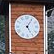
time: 5:05
